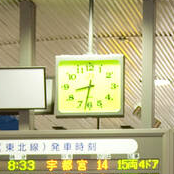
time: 8:32
